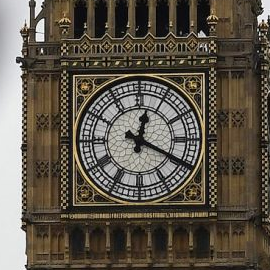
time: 12:19
